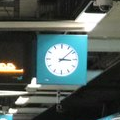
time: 3:08
